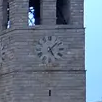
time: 5:06
